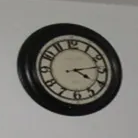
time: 4:13
